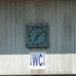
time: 7:08
